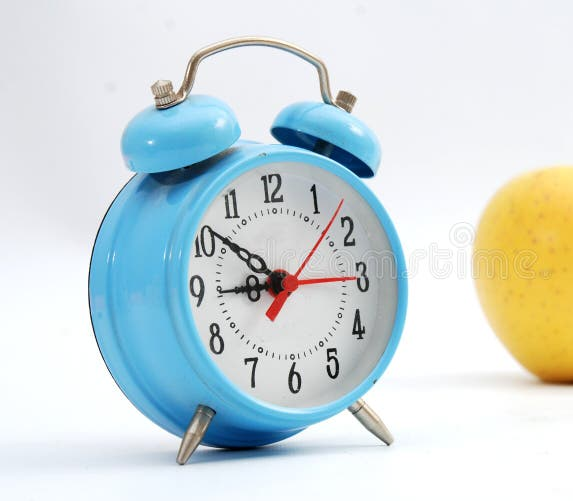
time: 8:51
